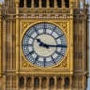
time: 10:15
